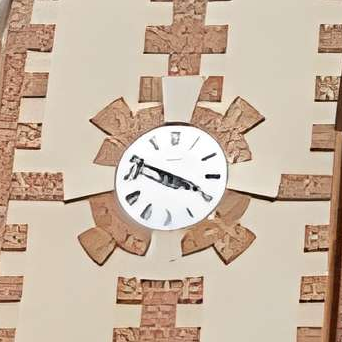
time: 3:48
